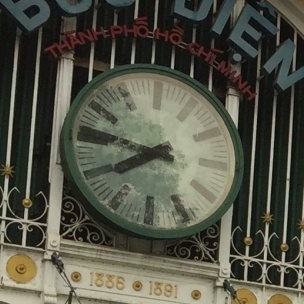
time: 7:46
